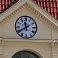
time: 11:39
